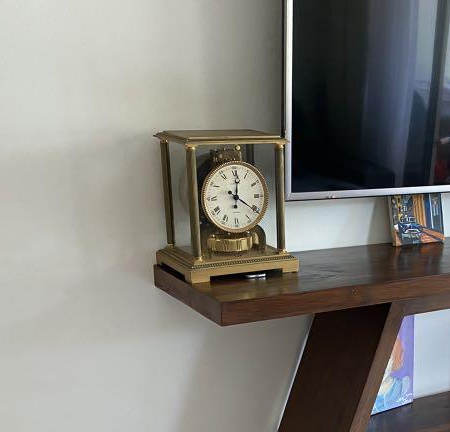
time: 12:20
